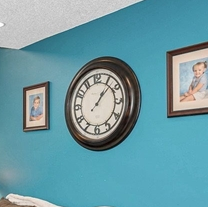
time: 1:07
